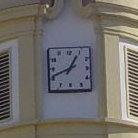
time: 12:41
